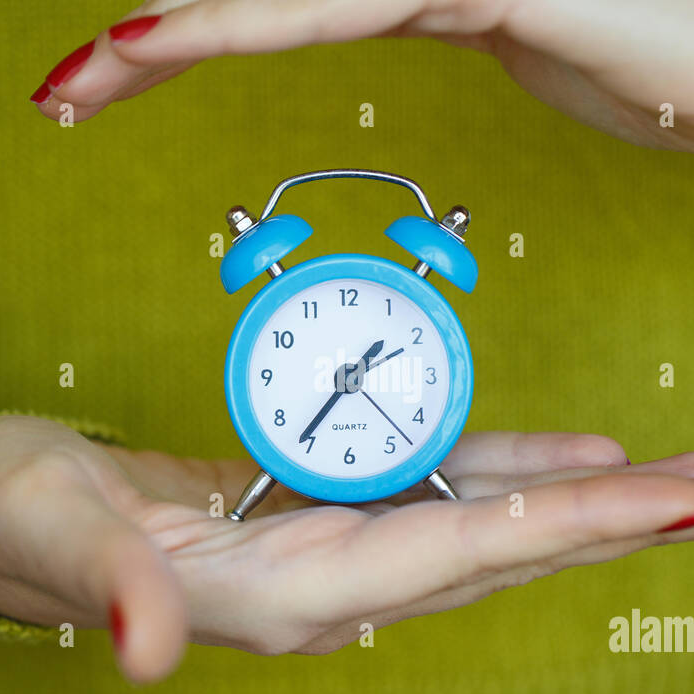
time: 1:36
